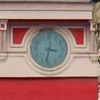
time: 3:32
